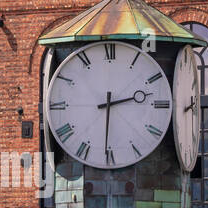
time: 2:30
